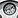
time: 1:42
